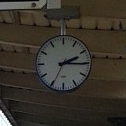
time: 2:15
